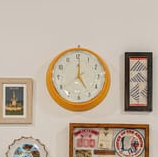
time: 5:00
